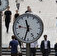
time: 11:33
